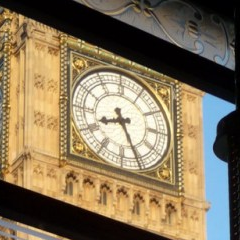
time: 8:26
